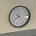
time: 10:41
